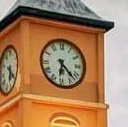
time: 6:22
